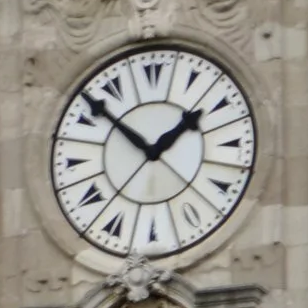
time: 1:52
